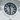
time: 11:31
